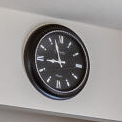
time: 8:57
